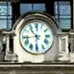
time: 10:43
